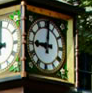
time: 9:01
